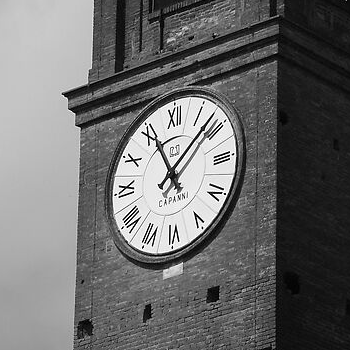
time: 11:07
